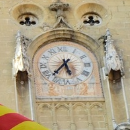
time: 5:36
